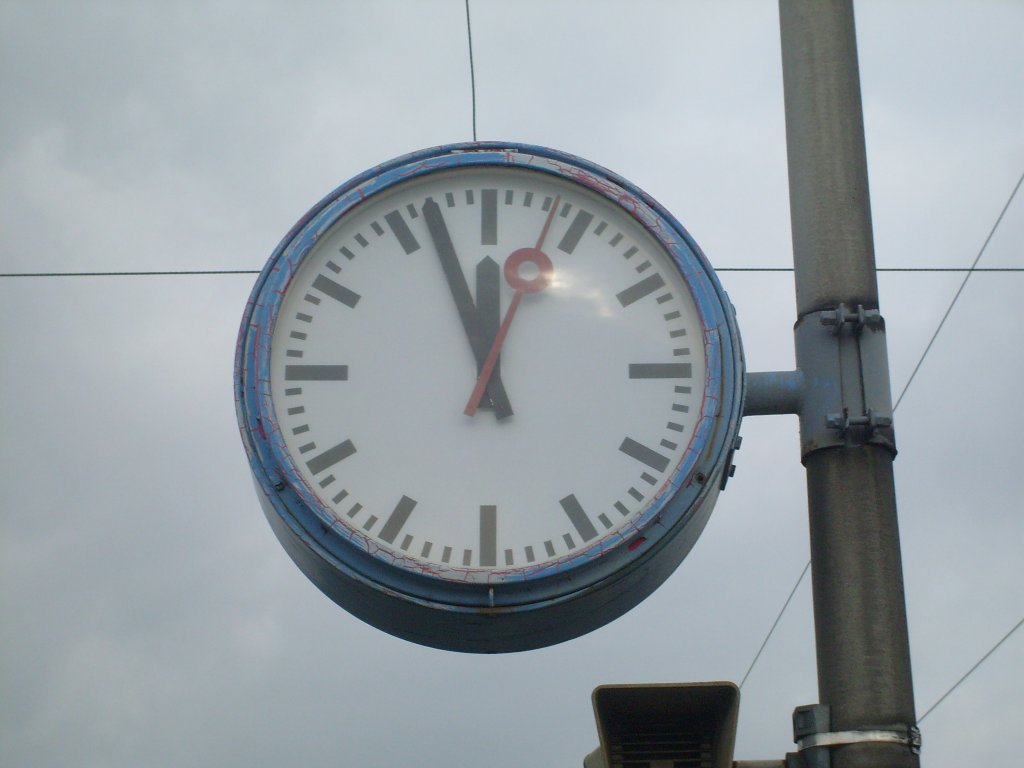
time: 11:56
